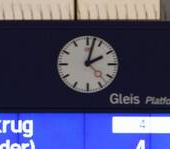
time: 2:02
